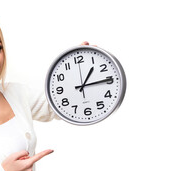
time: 1:14
